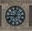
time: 12:45
